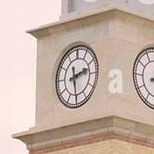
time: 2:29
